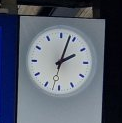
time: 2:03
